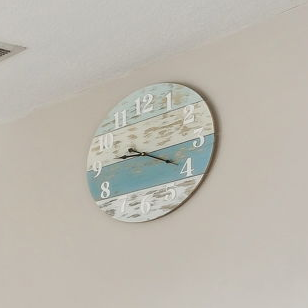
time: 9:20
